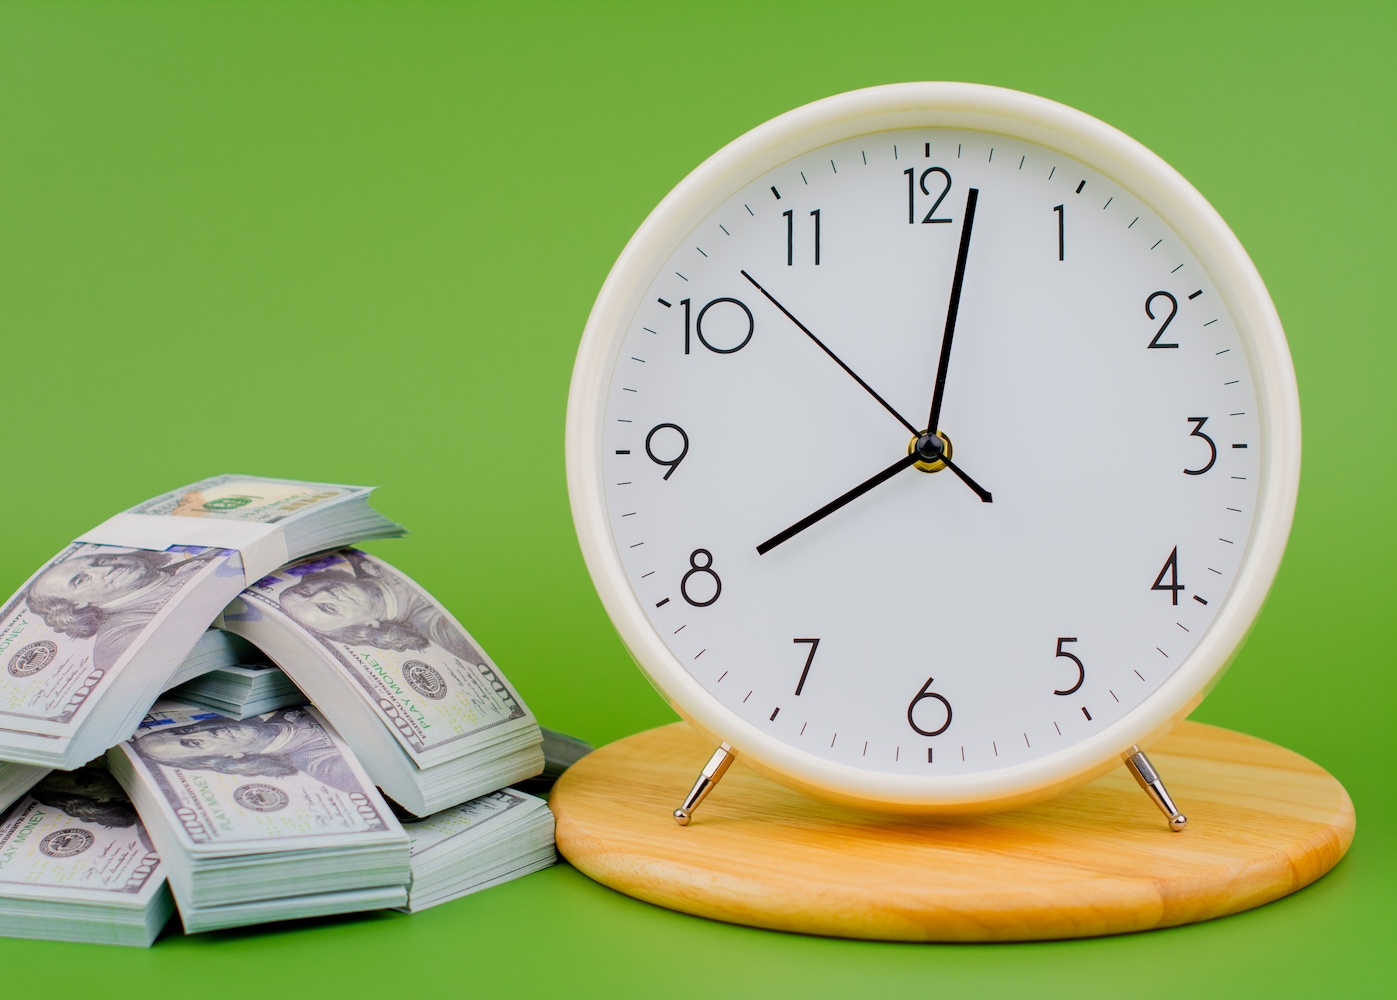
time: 8:01
